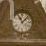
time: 11:07
